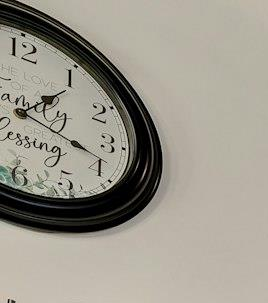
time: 1:18
